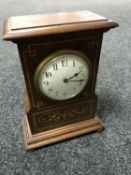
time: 3:12
